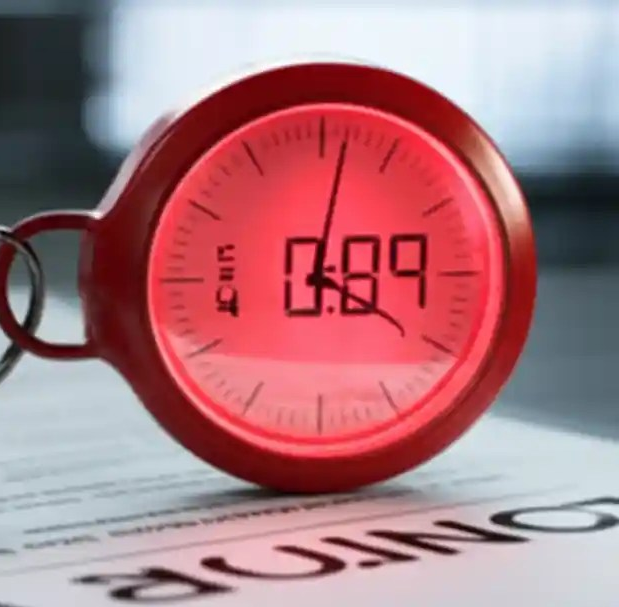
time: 4:02
